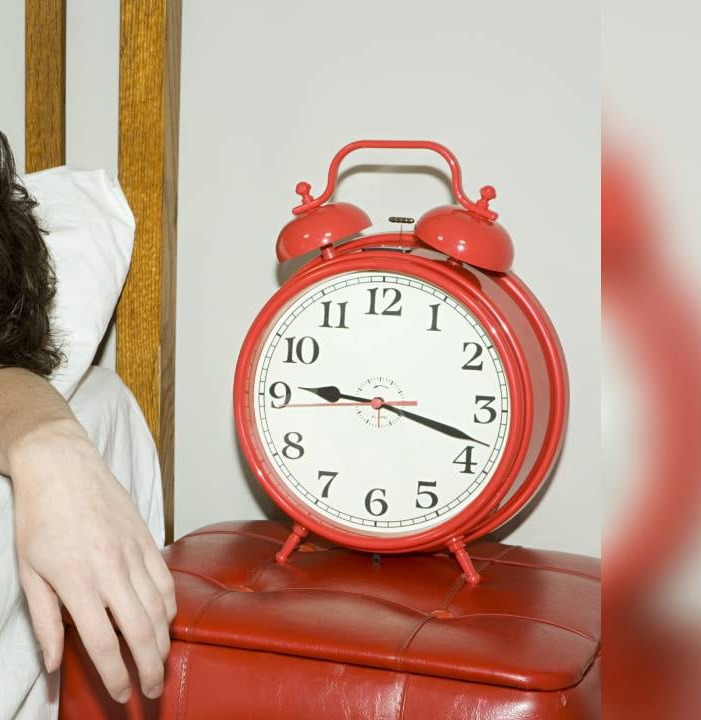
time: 9:17
